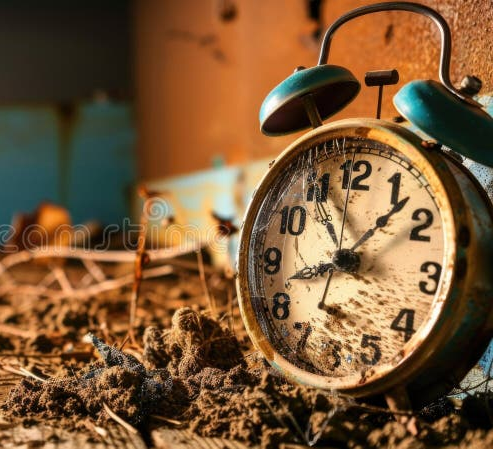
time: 8:07
